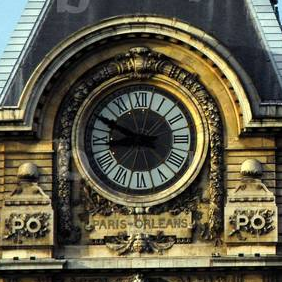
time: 8:49
